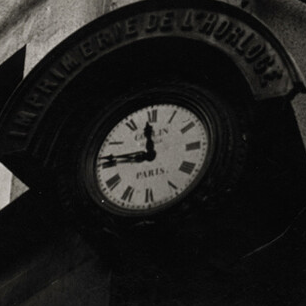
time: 11:46
